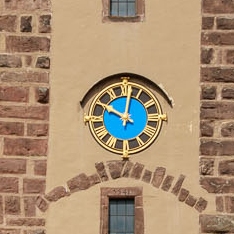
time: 10:01
